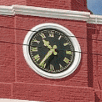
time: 10:36
